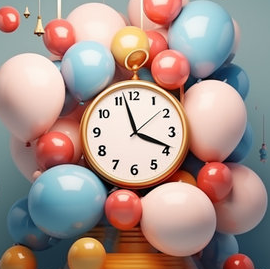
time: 3:57
